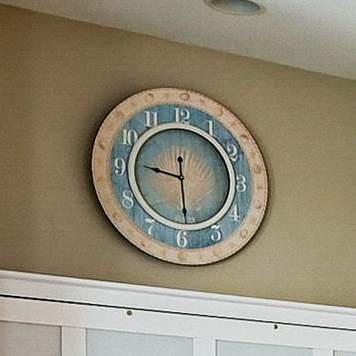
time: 5:46
